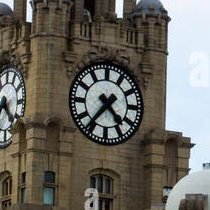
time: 4:36
